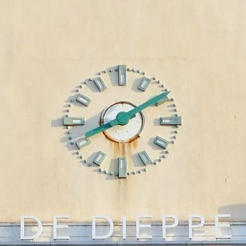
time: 8:09
